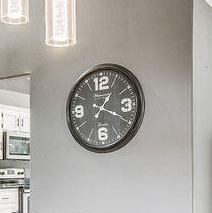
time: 1:19
